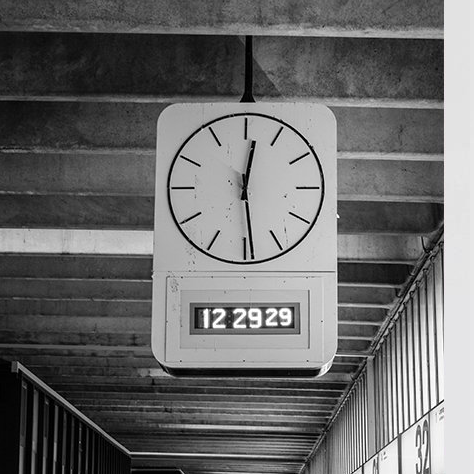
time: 12:28
